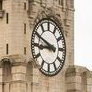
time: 8:49
